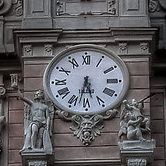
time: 5:32
